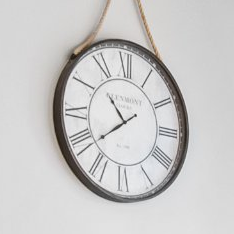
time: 10:38
